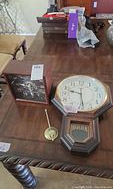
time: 9:28
